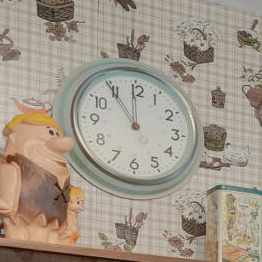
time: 11:54
